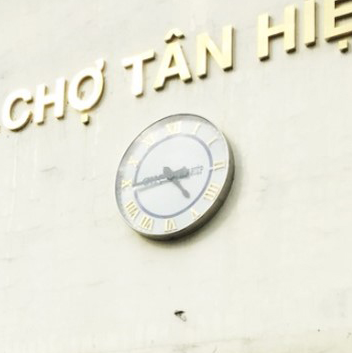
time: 4:44
